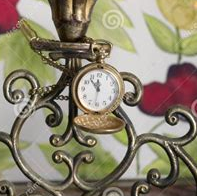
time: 11:53
